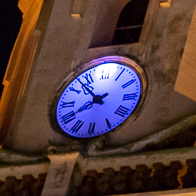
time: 7:52
